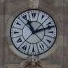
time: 11:12
